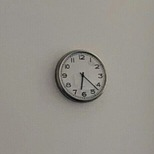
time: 6:22
